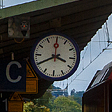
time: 3:40
